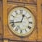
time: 12:42
